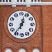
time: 12:36
